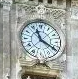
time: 11:19
